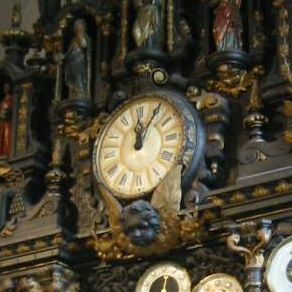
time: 12:06
